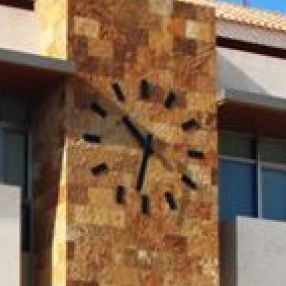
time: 10:32
